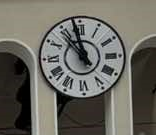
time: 10:58
